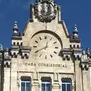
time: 12:40
